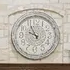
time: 9:55
